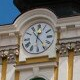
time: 12:23
